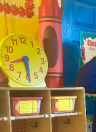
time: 5:42
